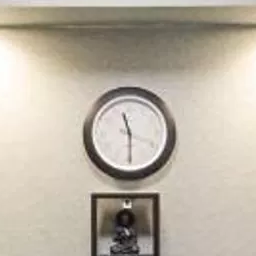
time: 11:29
